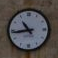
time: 10:43
